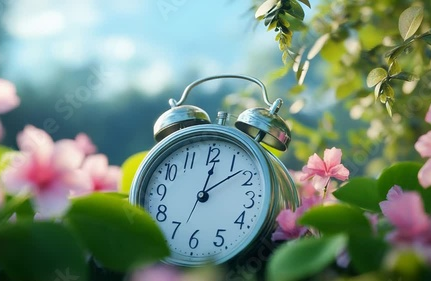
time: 12:08
